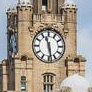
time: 11:28
